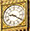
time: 9:20
